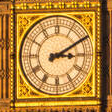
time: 3:10
